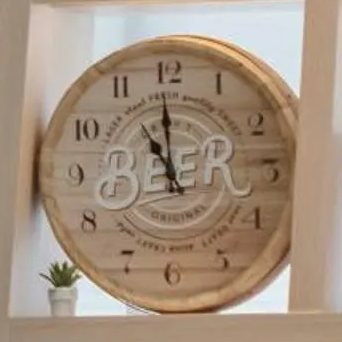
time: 10:59
